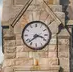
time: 3:38
